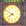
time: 7:50
